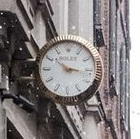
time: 10:16
